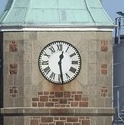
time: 12:28
